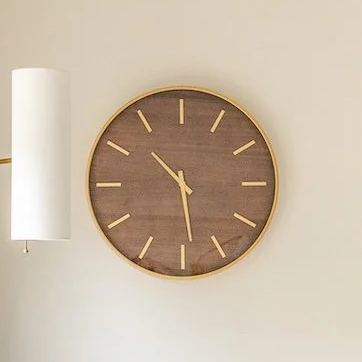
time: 10:28
